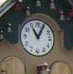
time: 11:04
